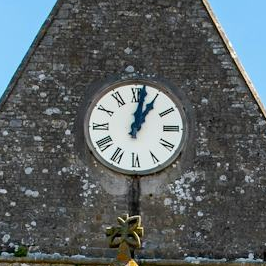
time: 1:01
